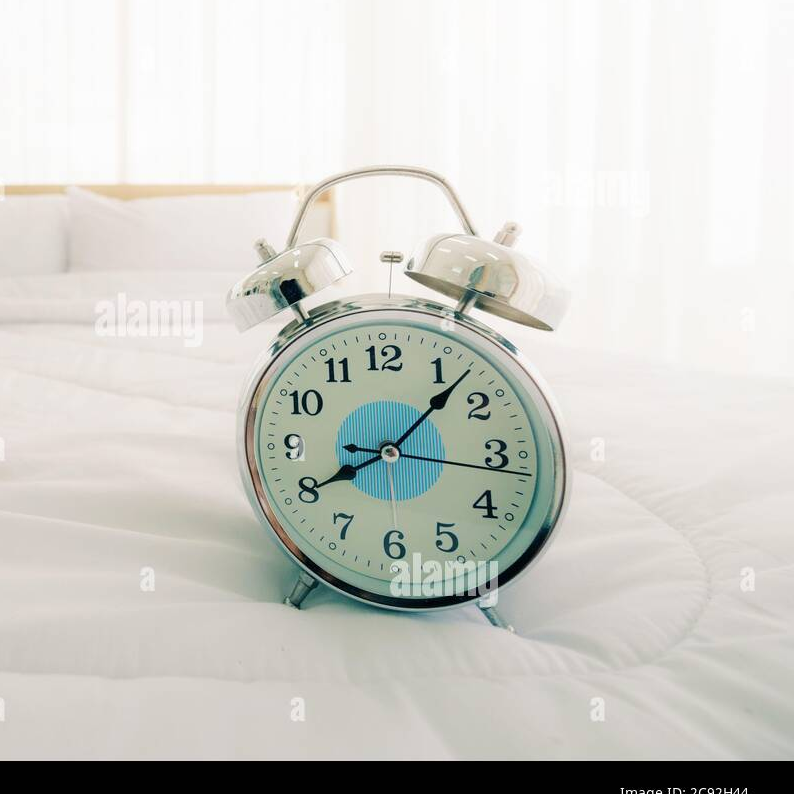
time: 8:07
